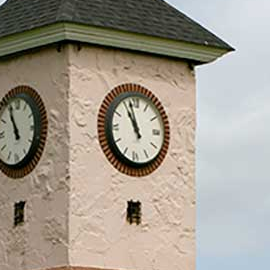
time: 10:57
